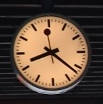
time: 8:21
